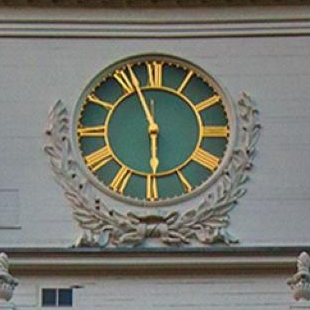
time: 5:56
